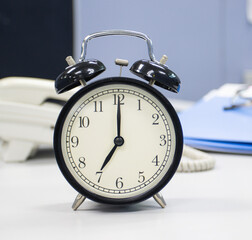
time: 7:00
